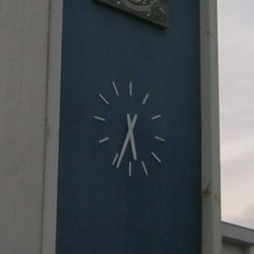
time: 5:33
